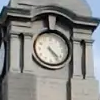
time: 4:23
